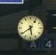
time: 5:38
